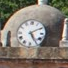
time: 5:09
